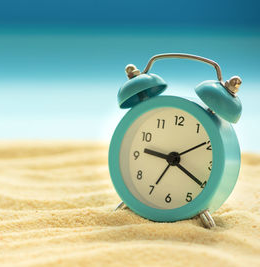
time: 9:20
